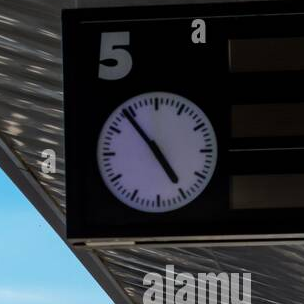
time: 4:53
